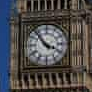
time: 3:53
